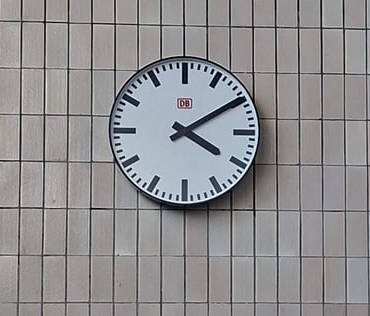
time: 4:09
